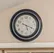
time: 5:18
